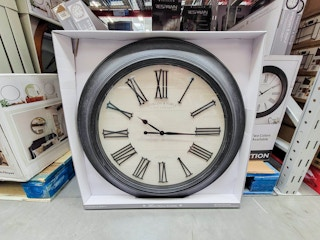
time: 10:15
